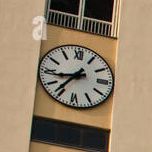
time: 8:36
